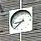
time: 8:38
